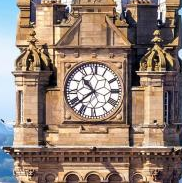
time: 10:38
